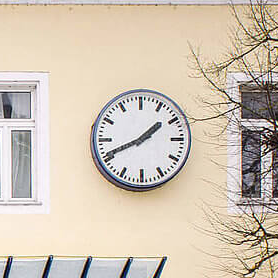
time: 1:41
